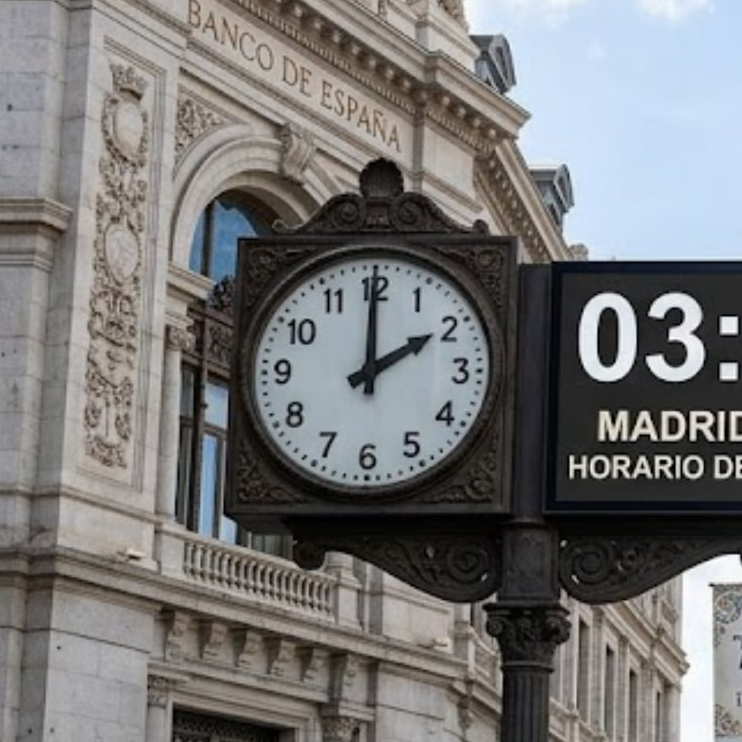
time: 2:00
